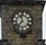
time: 11:37
